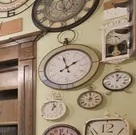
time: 1:57
